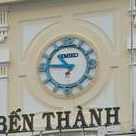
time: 10:45
